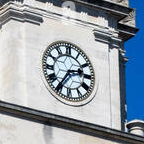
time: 2:35
